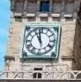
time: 10:58
